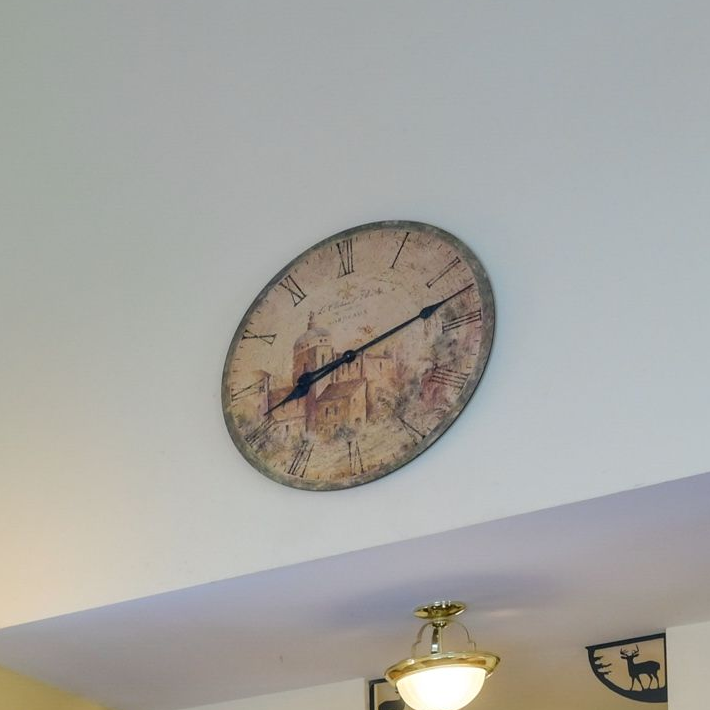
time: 8:12
